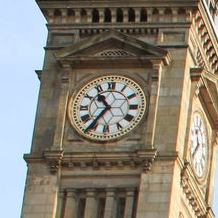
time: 10:36
